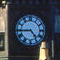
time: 4:44
